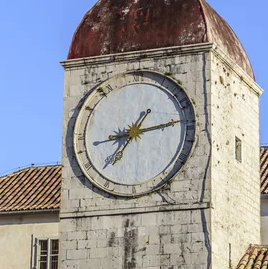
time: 1:13
